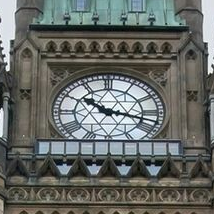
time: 10:17
